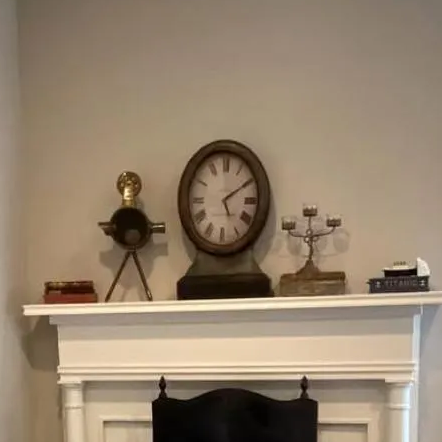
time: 5:09
